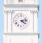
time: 4:12
